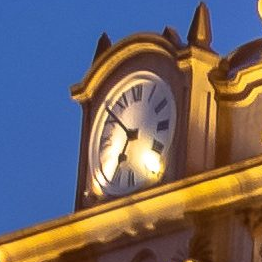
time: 6:51
